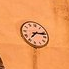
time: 7:12
